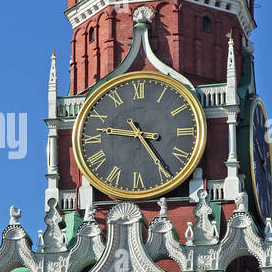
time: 9:24
